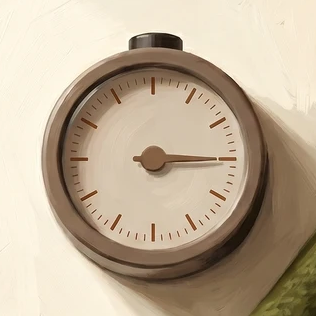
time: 3:15
